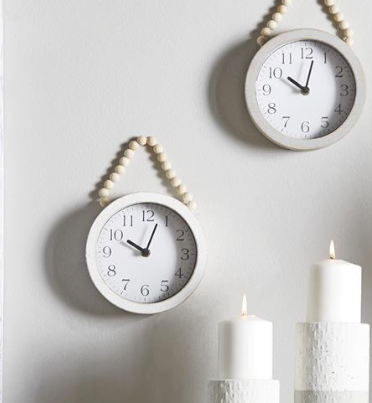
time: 10:03
